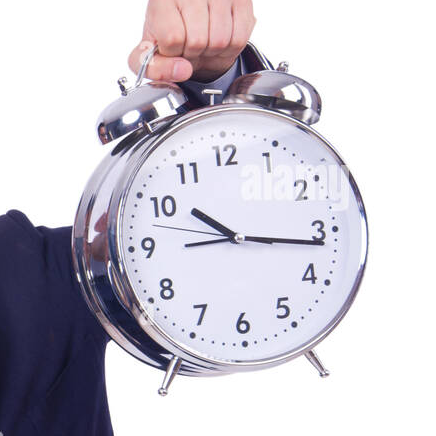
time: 10:16
